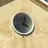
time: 4:02
